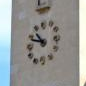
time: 10:48
